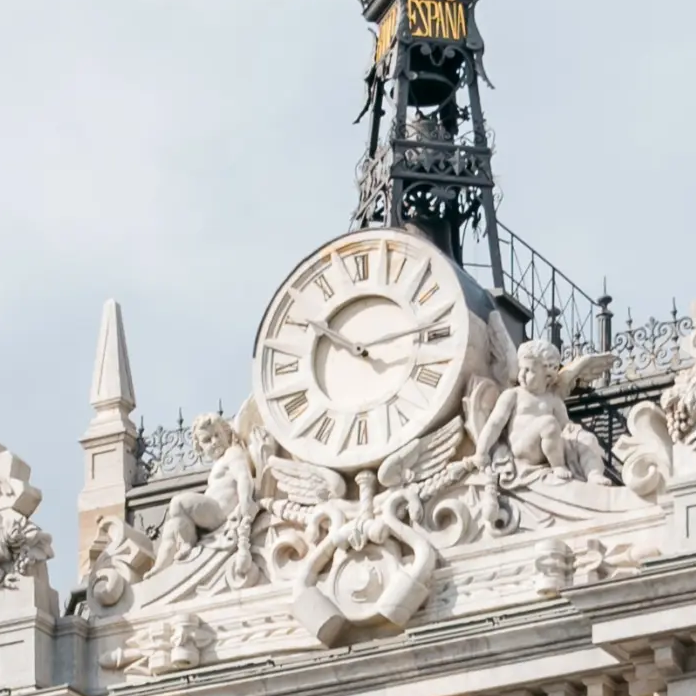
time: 10:14
